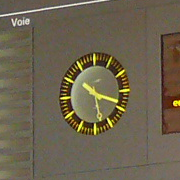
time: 10:18
